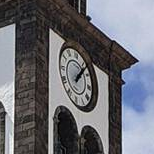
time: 1:06
